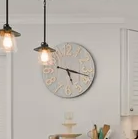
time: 5:17
